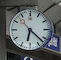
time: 6:22
